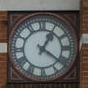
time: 1:21
